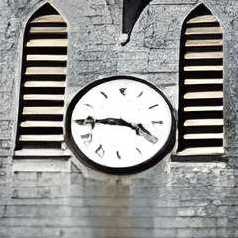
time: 3:44
